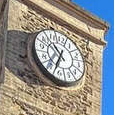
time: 10:34
